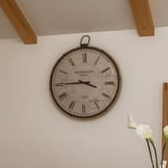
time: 3:44
